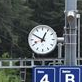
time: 12:49
